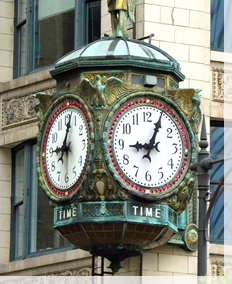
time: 9:04
